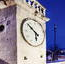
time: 5:51
